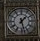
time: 1:27
